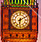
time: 6:10
